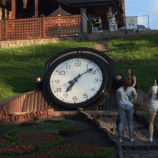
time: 7:08
